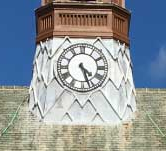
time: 4:26
